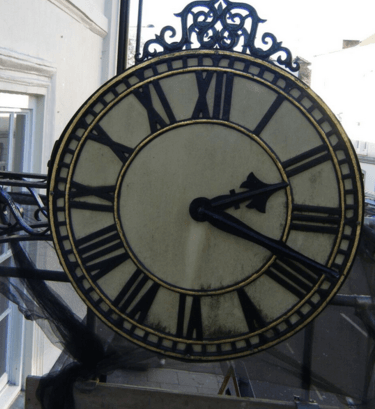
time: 2:18
